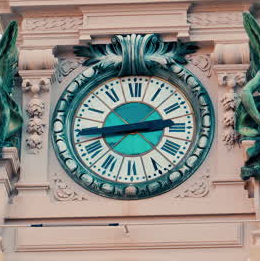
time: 2:43
